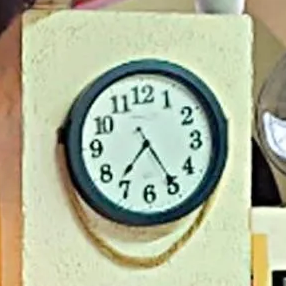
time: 7:24
